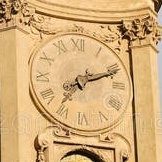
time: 7:11
